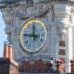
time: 11:46
